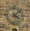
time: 4:07
